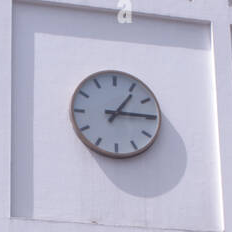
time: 1:14
